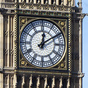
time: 12:09
